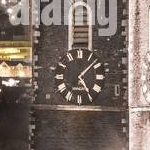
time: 5:07
